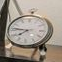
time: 7:46
